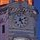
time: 5:11
